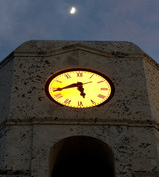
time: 5:42
